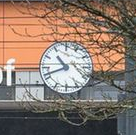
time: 10:41
